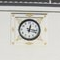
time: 12:16
